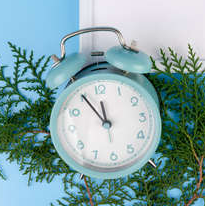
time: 11:55
